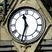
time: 11:32
